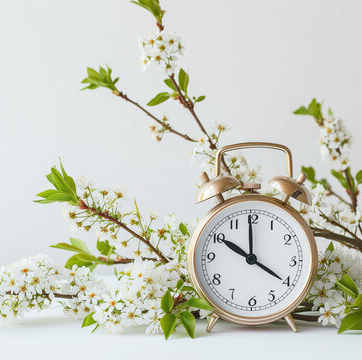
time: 9:59
